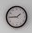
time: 1:45
